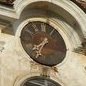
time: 7:34
